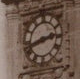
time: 2:42
